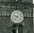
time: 9:36
